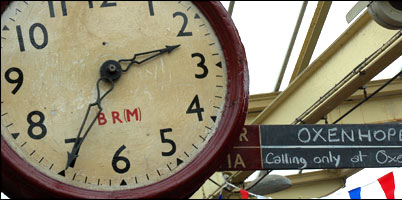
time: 2:34
